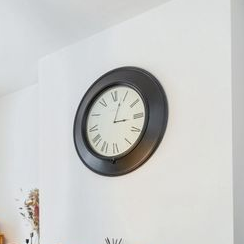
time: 3:03
